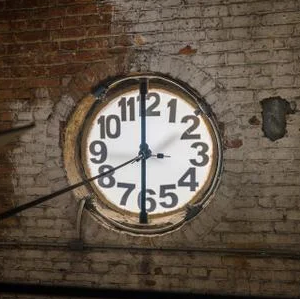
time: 5:59
